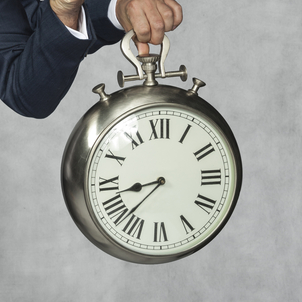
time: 8:37
